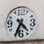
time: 4:34
